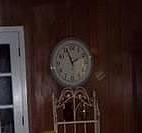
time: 1:56
